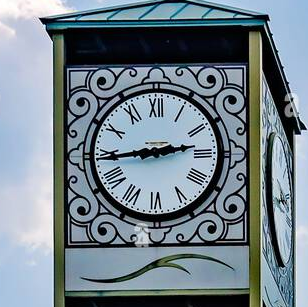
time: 2:44
